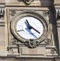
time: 11:20
